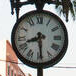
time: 8:29
